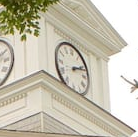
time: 2:11
